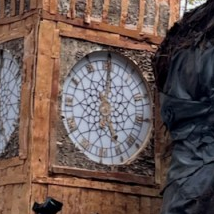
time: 5:00
